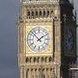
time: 1:52
